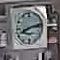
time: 8:12
